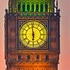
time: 5:58
